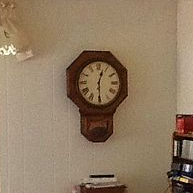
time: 12:28
